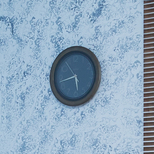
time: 5:42
